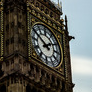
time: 1:50
